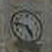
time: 4:46
